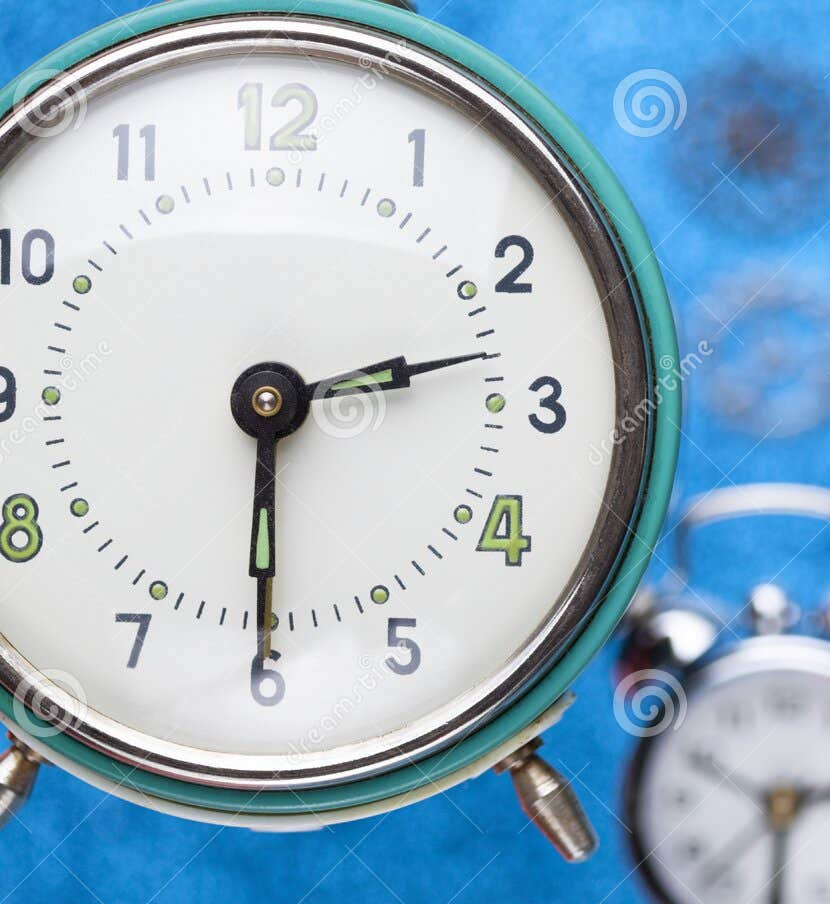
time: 2:30
